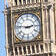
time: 2:46
